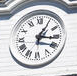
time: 1:16
